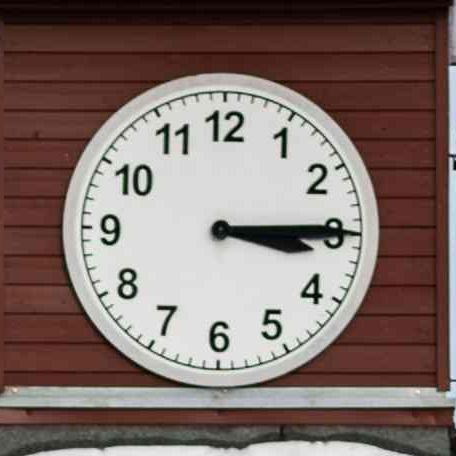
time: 3:14
